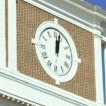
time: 12:02
